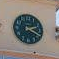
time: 2:19
